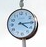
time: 4:14
